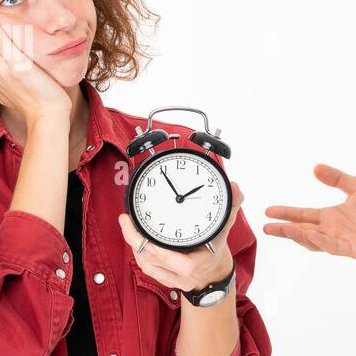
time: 1:54
